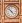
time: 4:52
